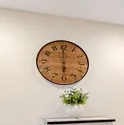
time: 5:59
